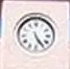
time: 5:24
